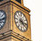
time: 4:16
